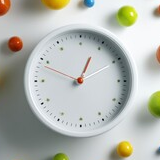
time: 12:48
